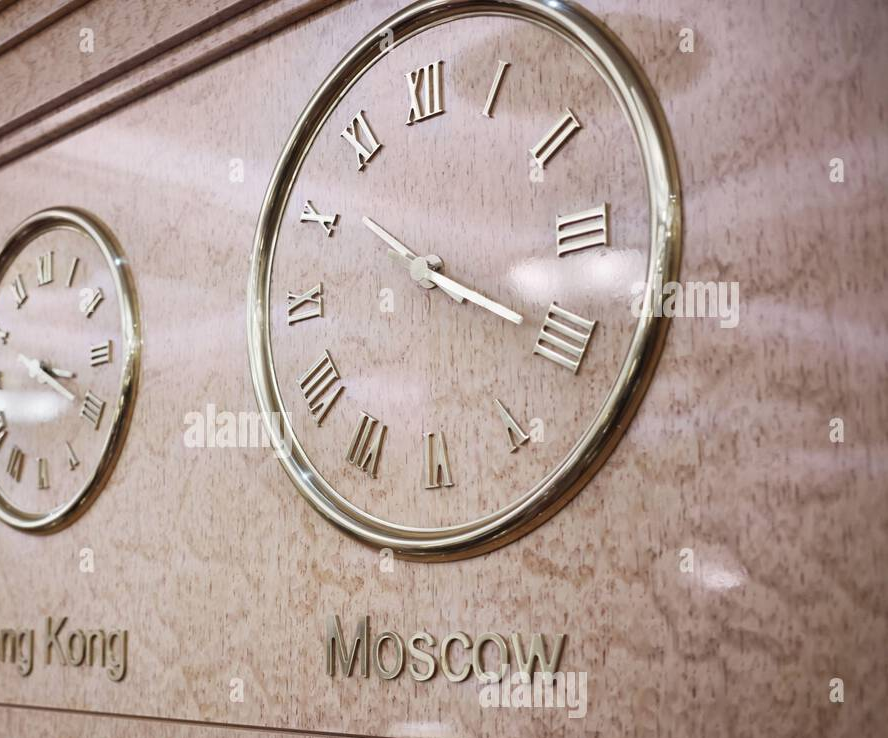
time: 10:20
